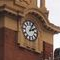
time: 2:04
